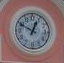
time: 12:49
